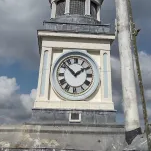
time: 1:52
